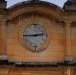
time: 2:45
